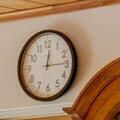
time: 12:14
